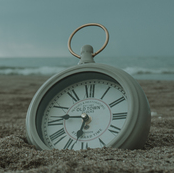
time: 6:46
